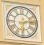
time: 6:13
